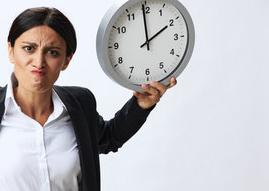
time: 1:59
